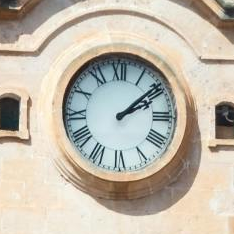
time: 2:08
